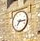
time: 7:15
